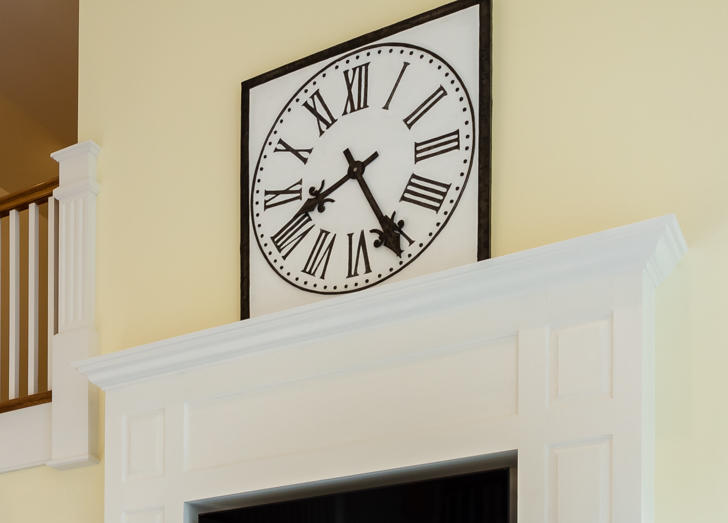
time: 8:25
